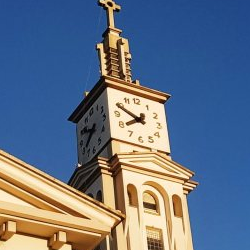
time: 7:49
